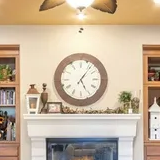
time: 5:06
